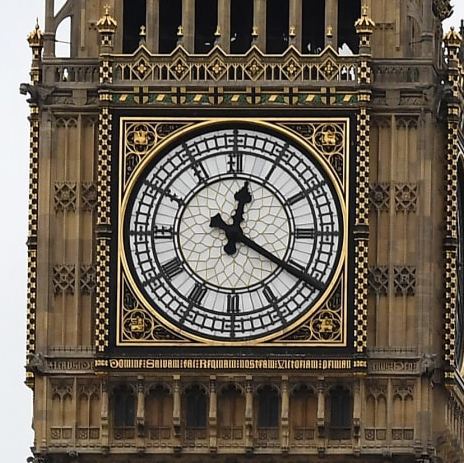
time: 12:20
